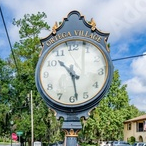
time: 10:28
